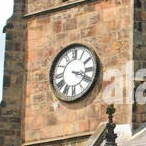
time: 3:19
